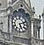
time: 5:11
